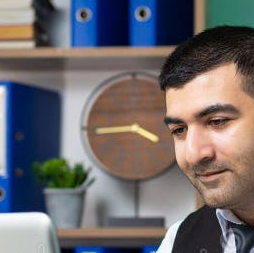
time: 3:44
